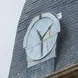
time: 1:28
